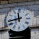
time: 11:43
